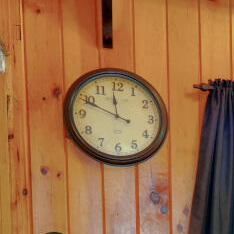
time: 11:48
